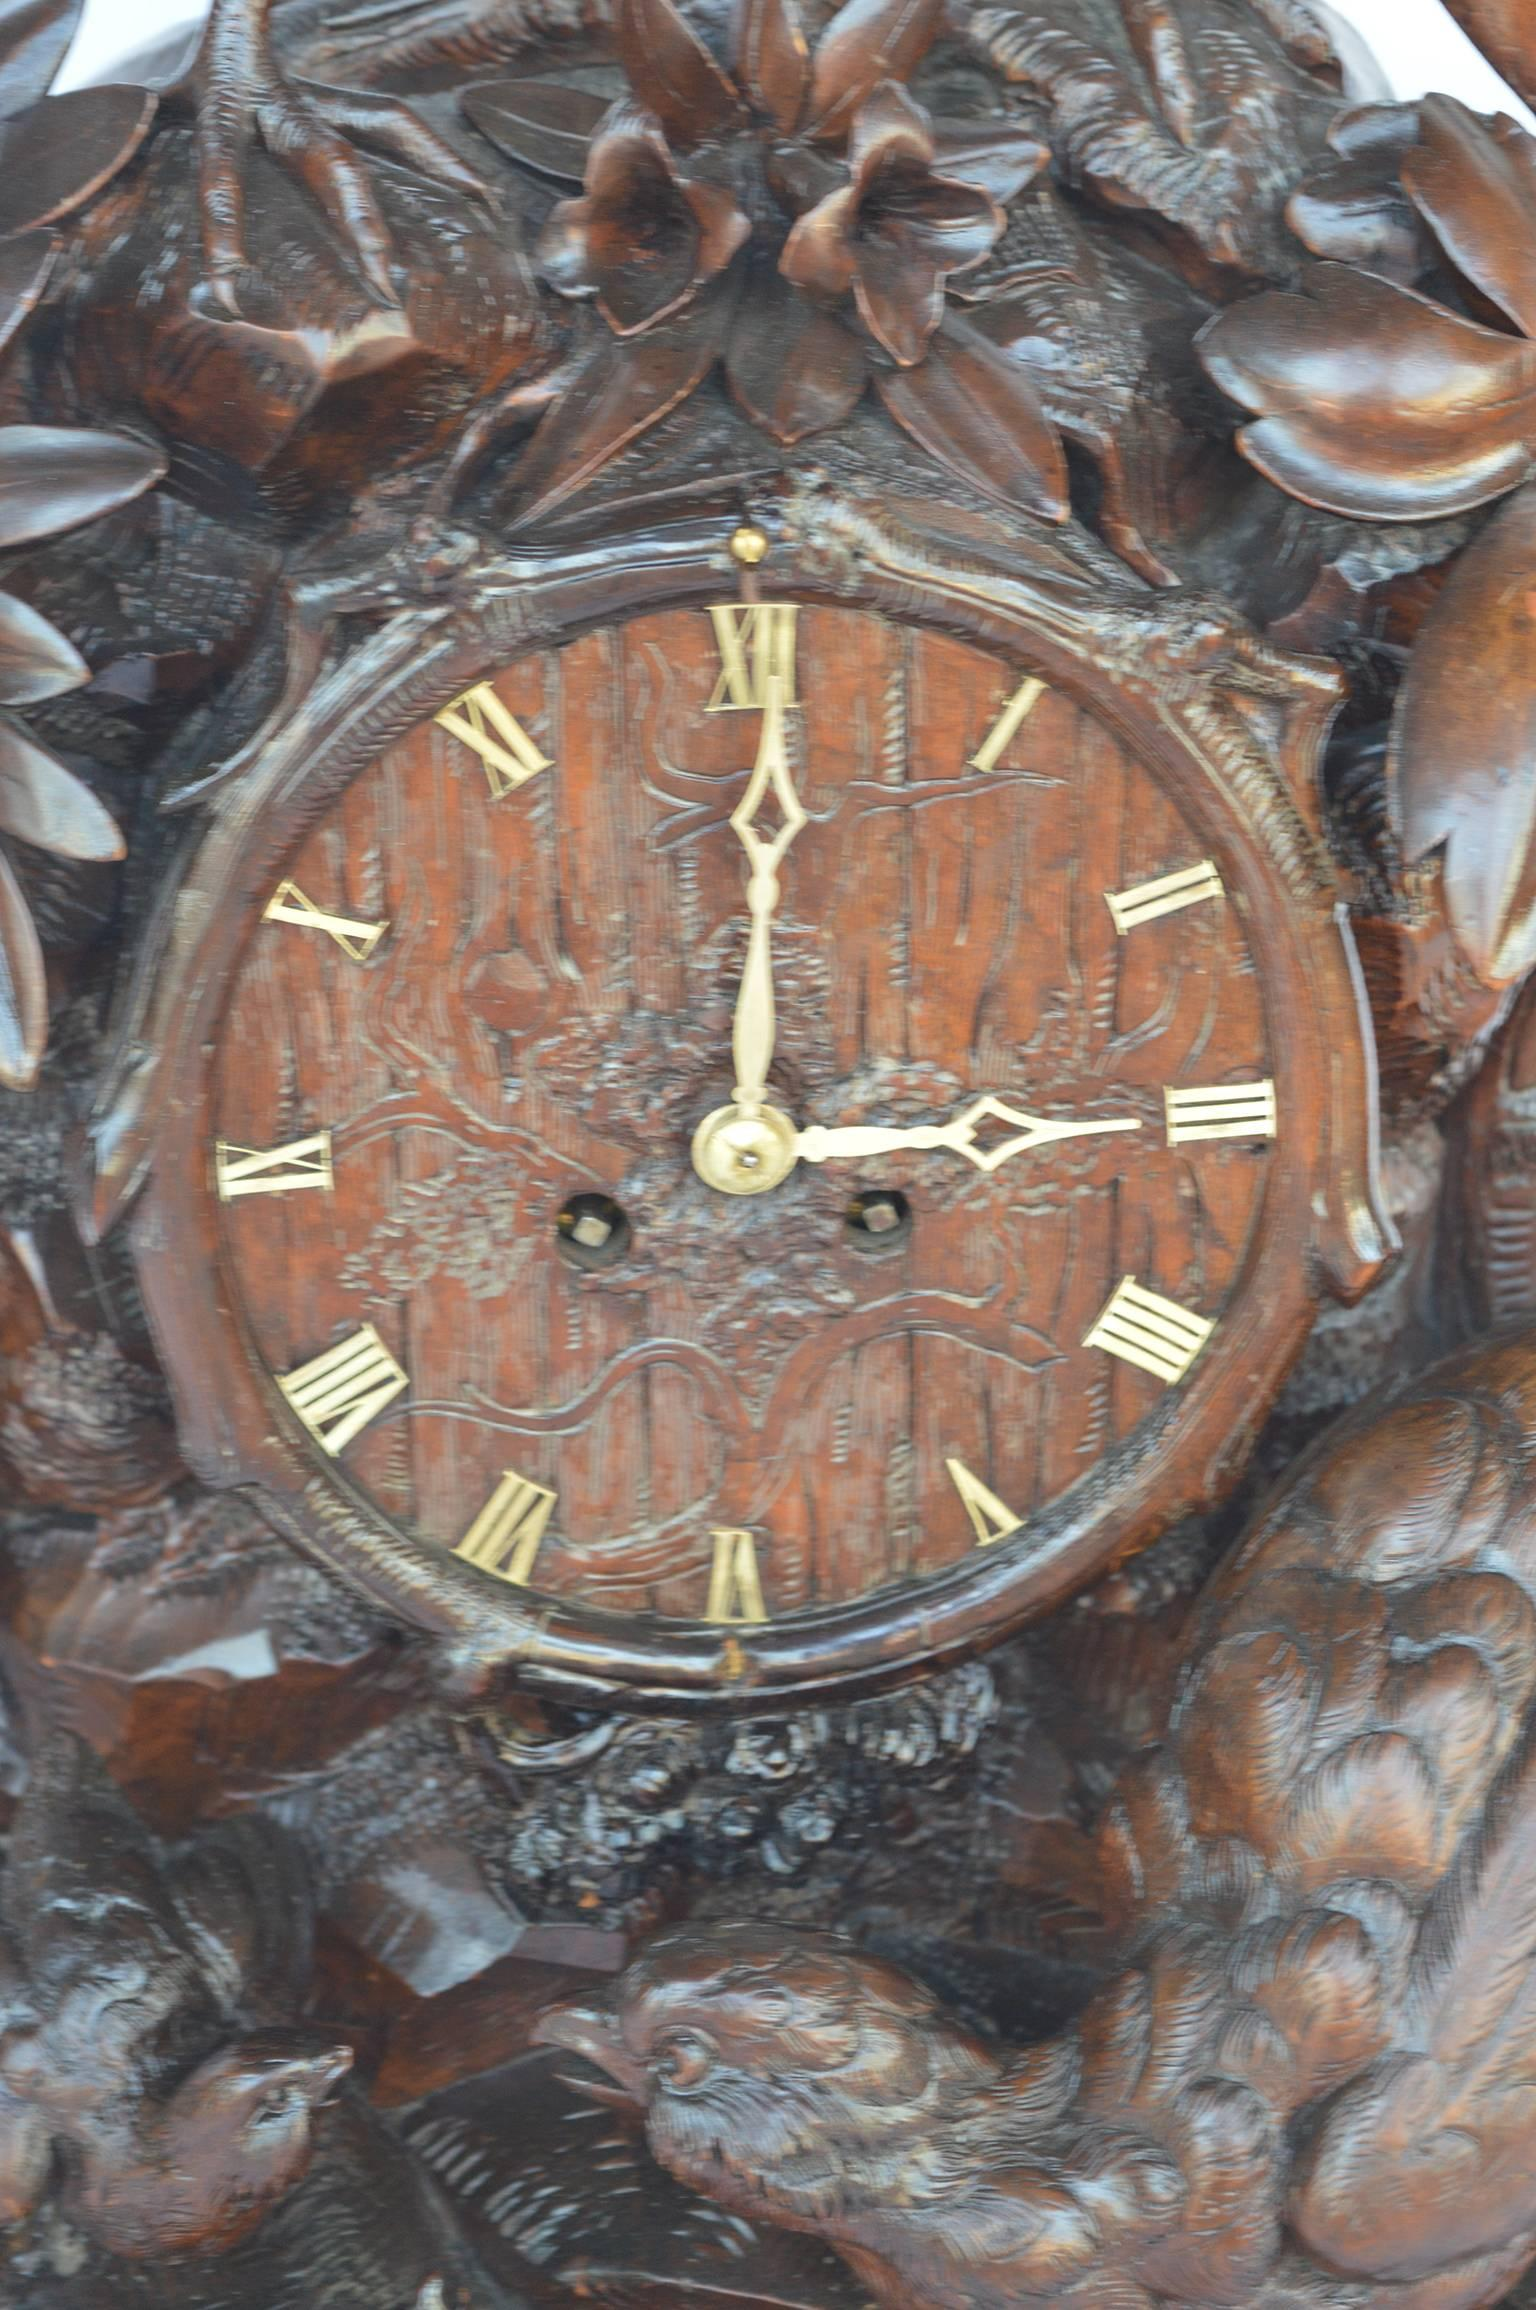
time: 3:00
